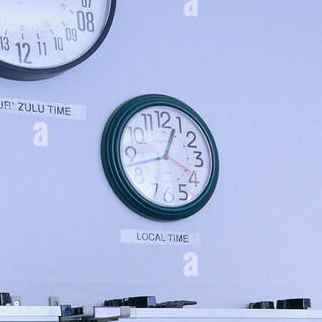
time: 12:42
